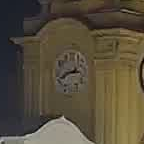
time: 2:40
